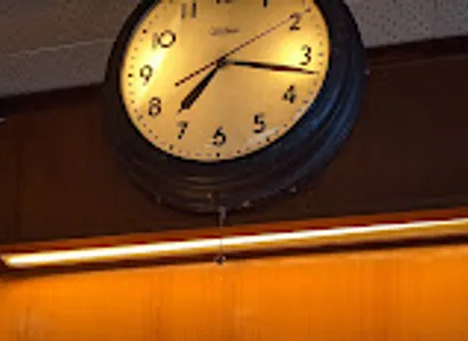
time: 7:17
